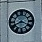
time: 3:40
